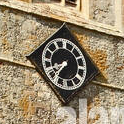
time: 8:36
